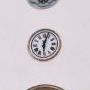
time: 6:02
